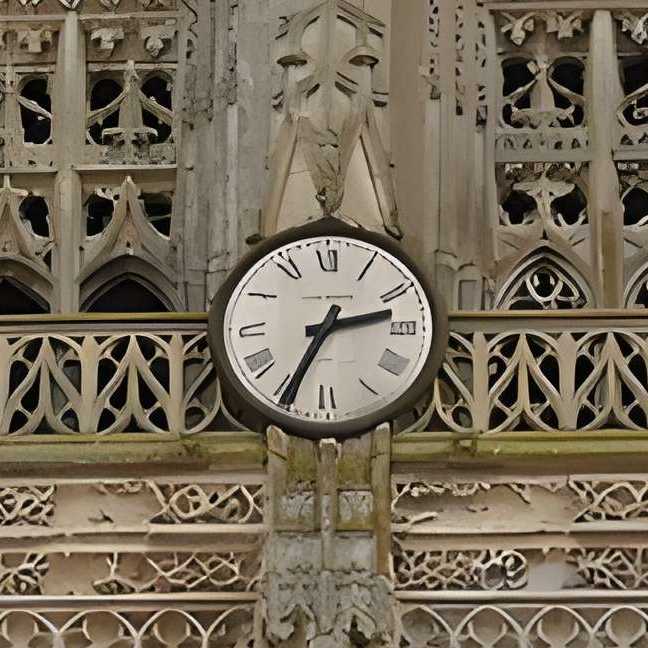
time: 2:34
